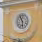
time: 5:55
